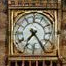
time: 7:24
